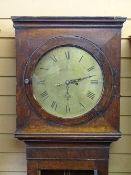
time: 3:12
